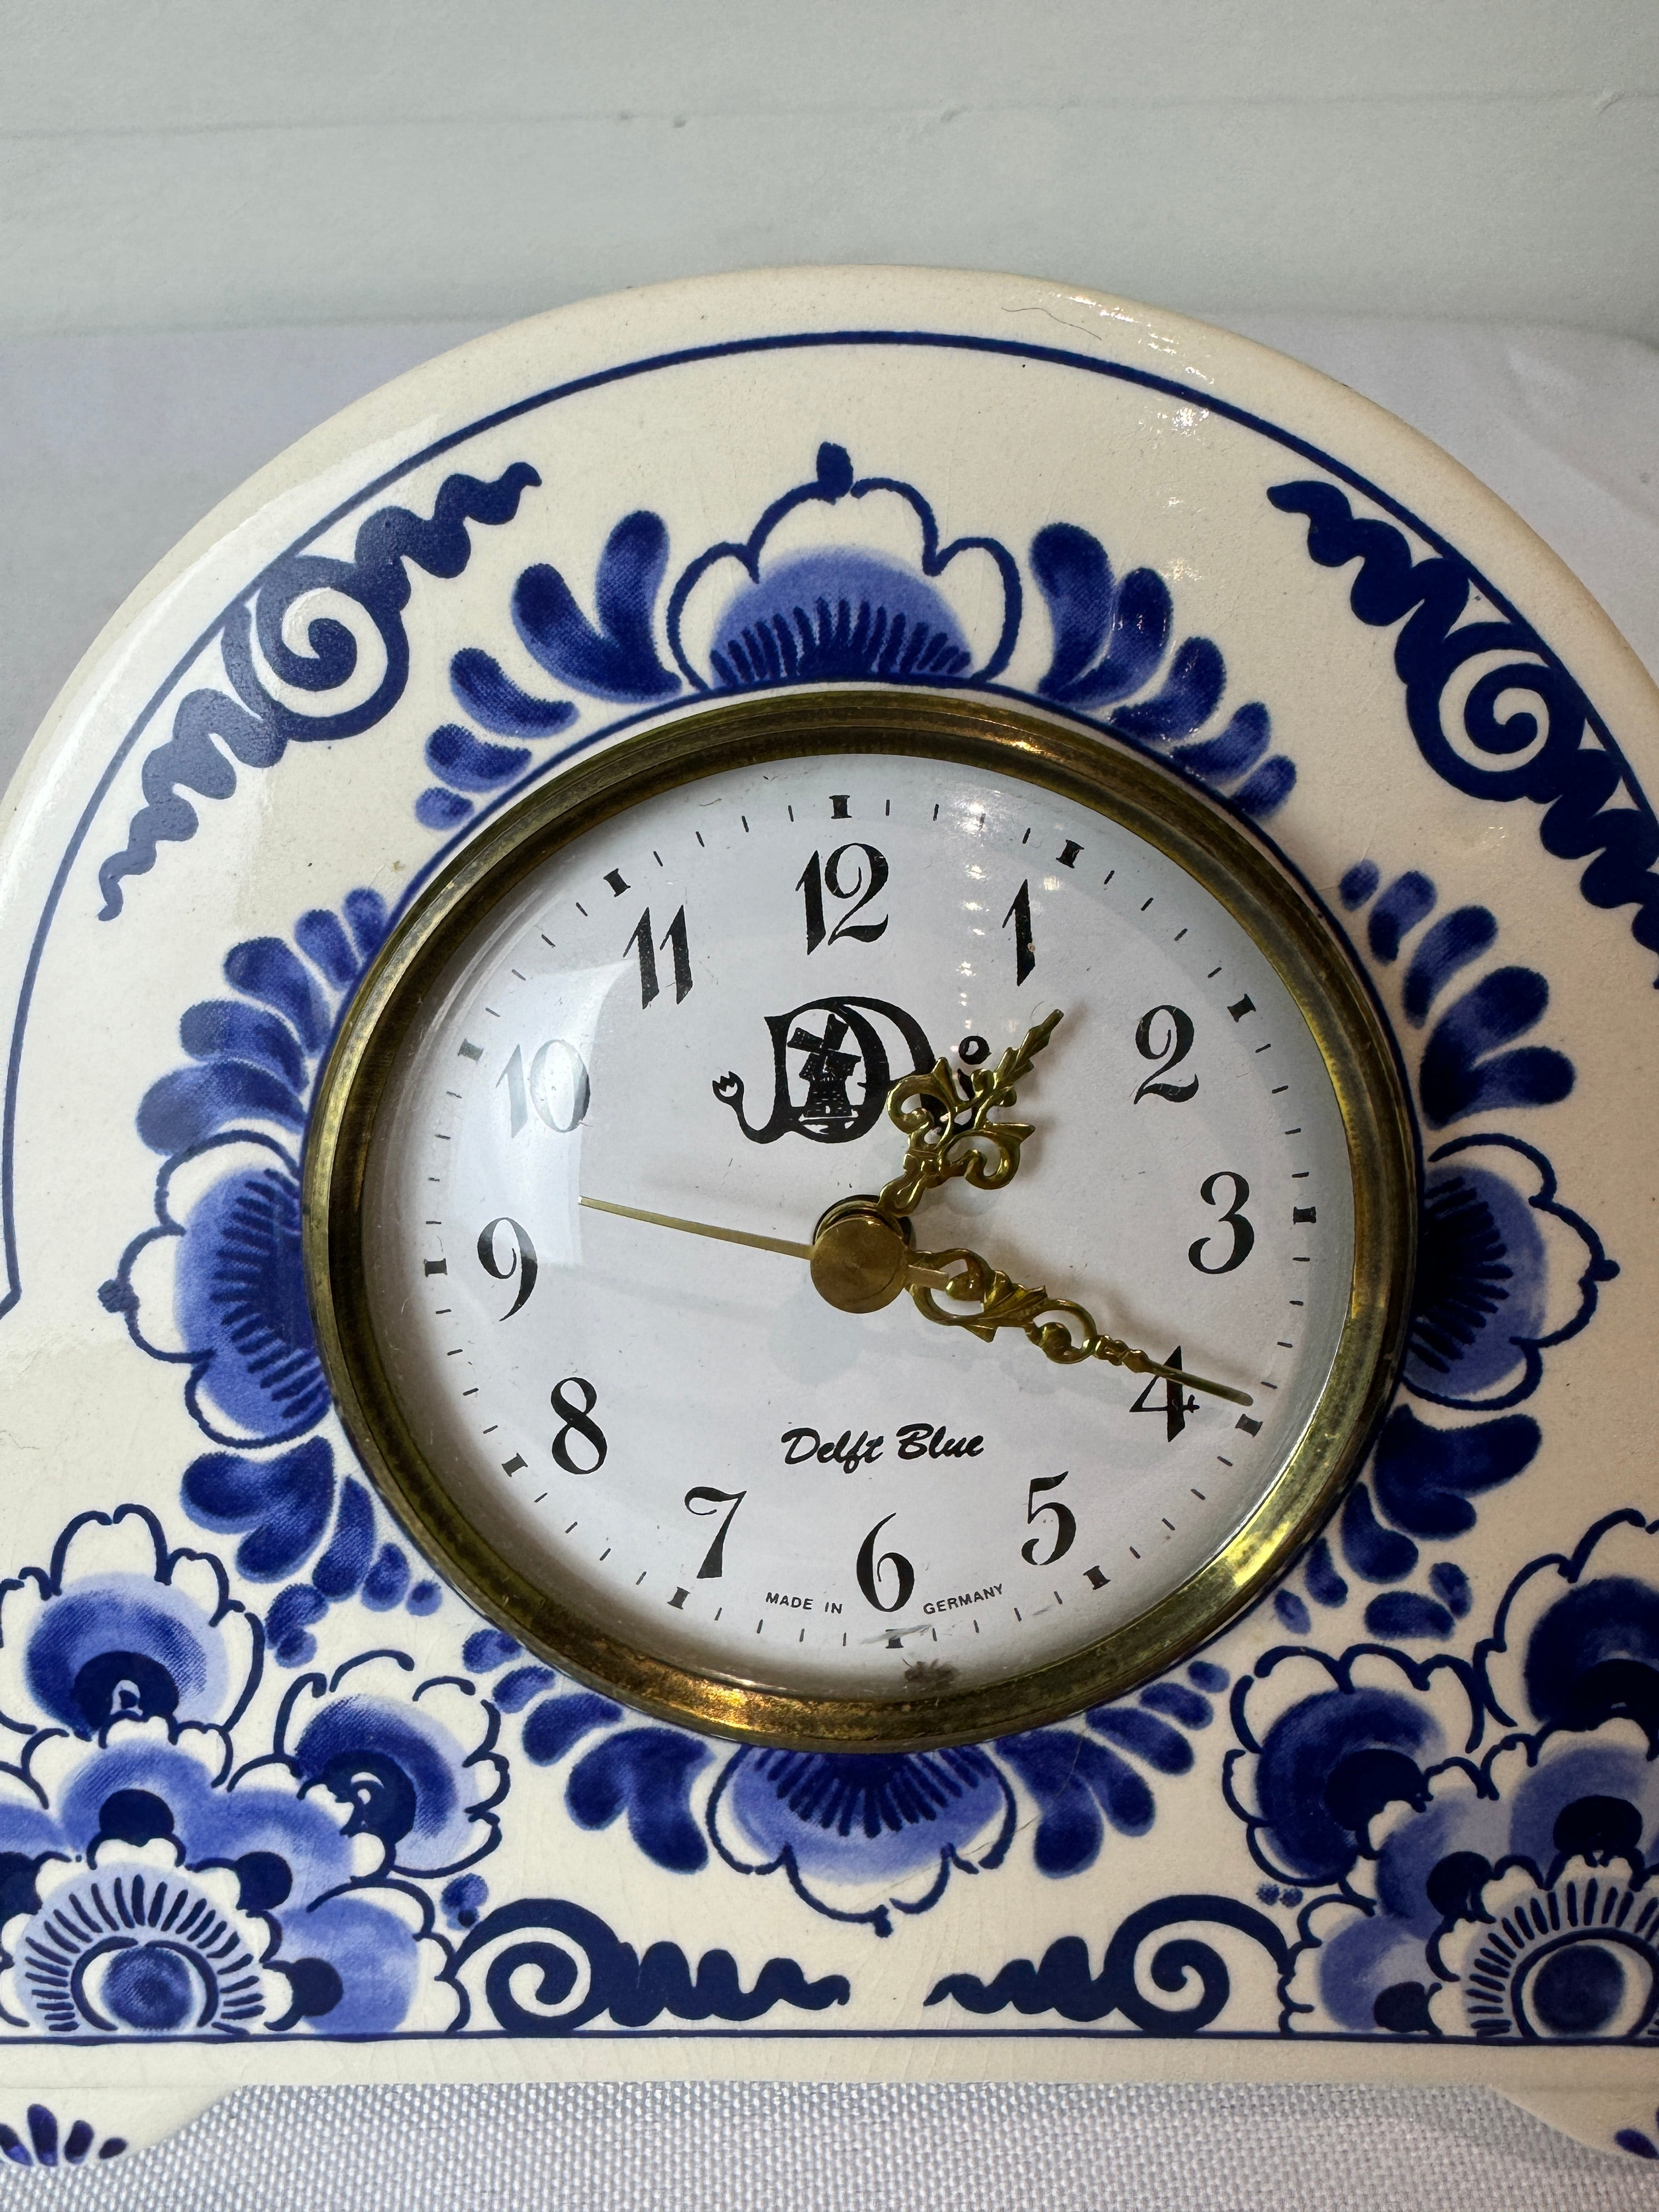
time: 1:19
